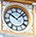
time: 10:07
